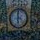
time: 5:59
